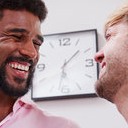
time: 1:32
